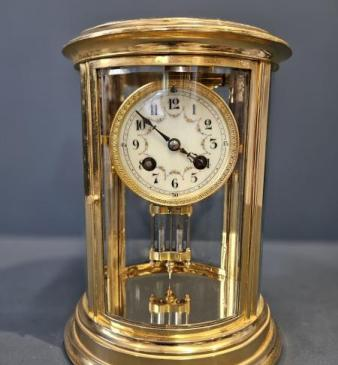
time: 3:51
